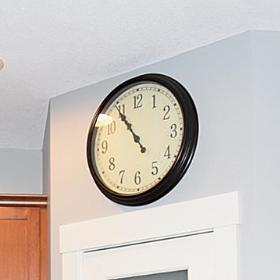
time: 10:54
